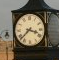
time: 3:37
